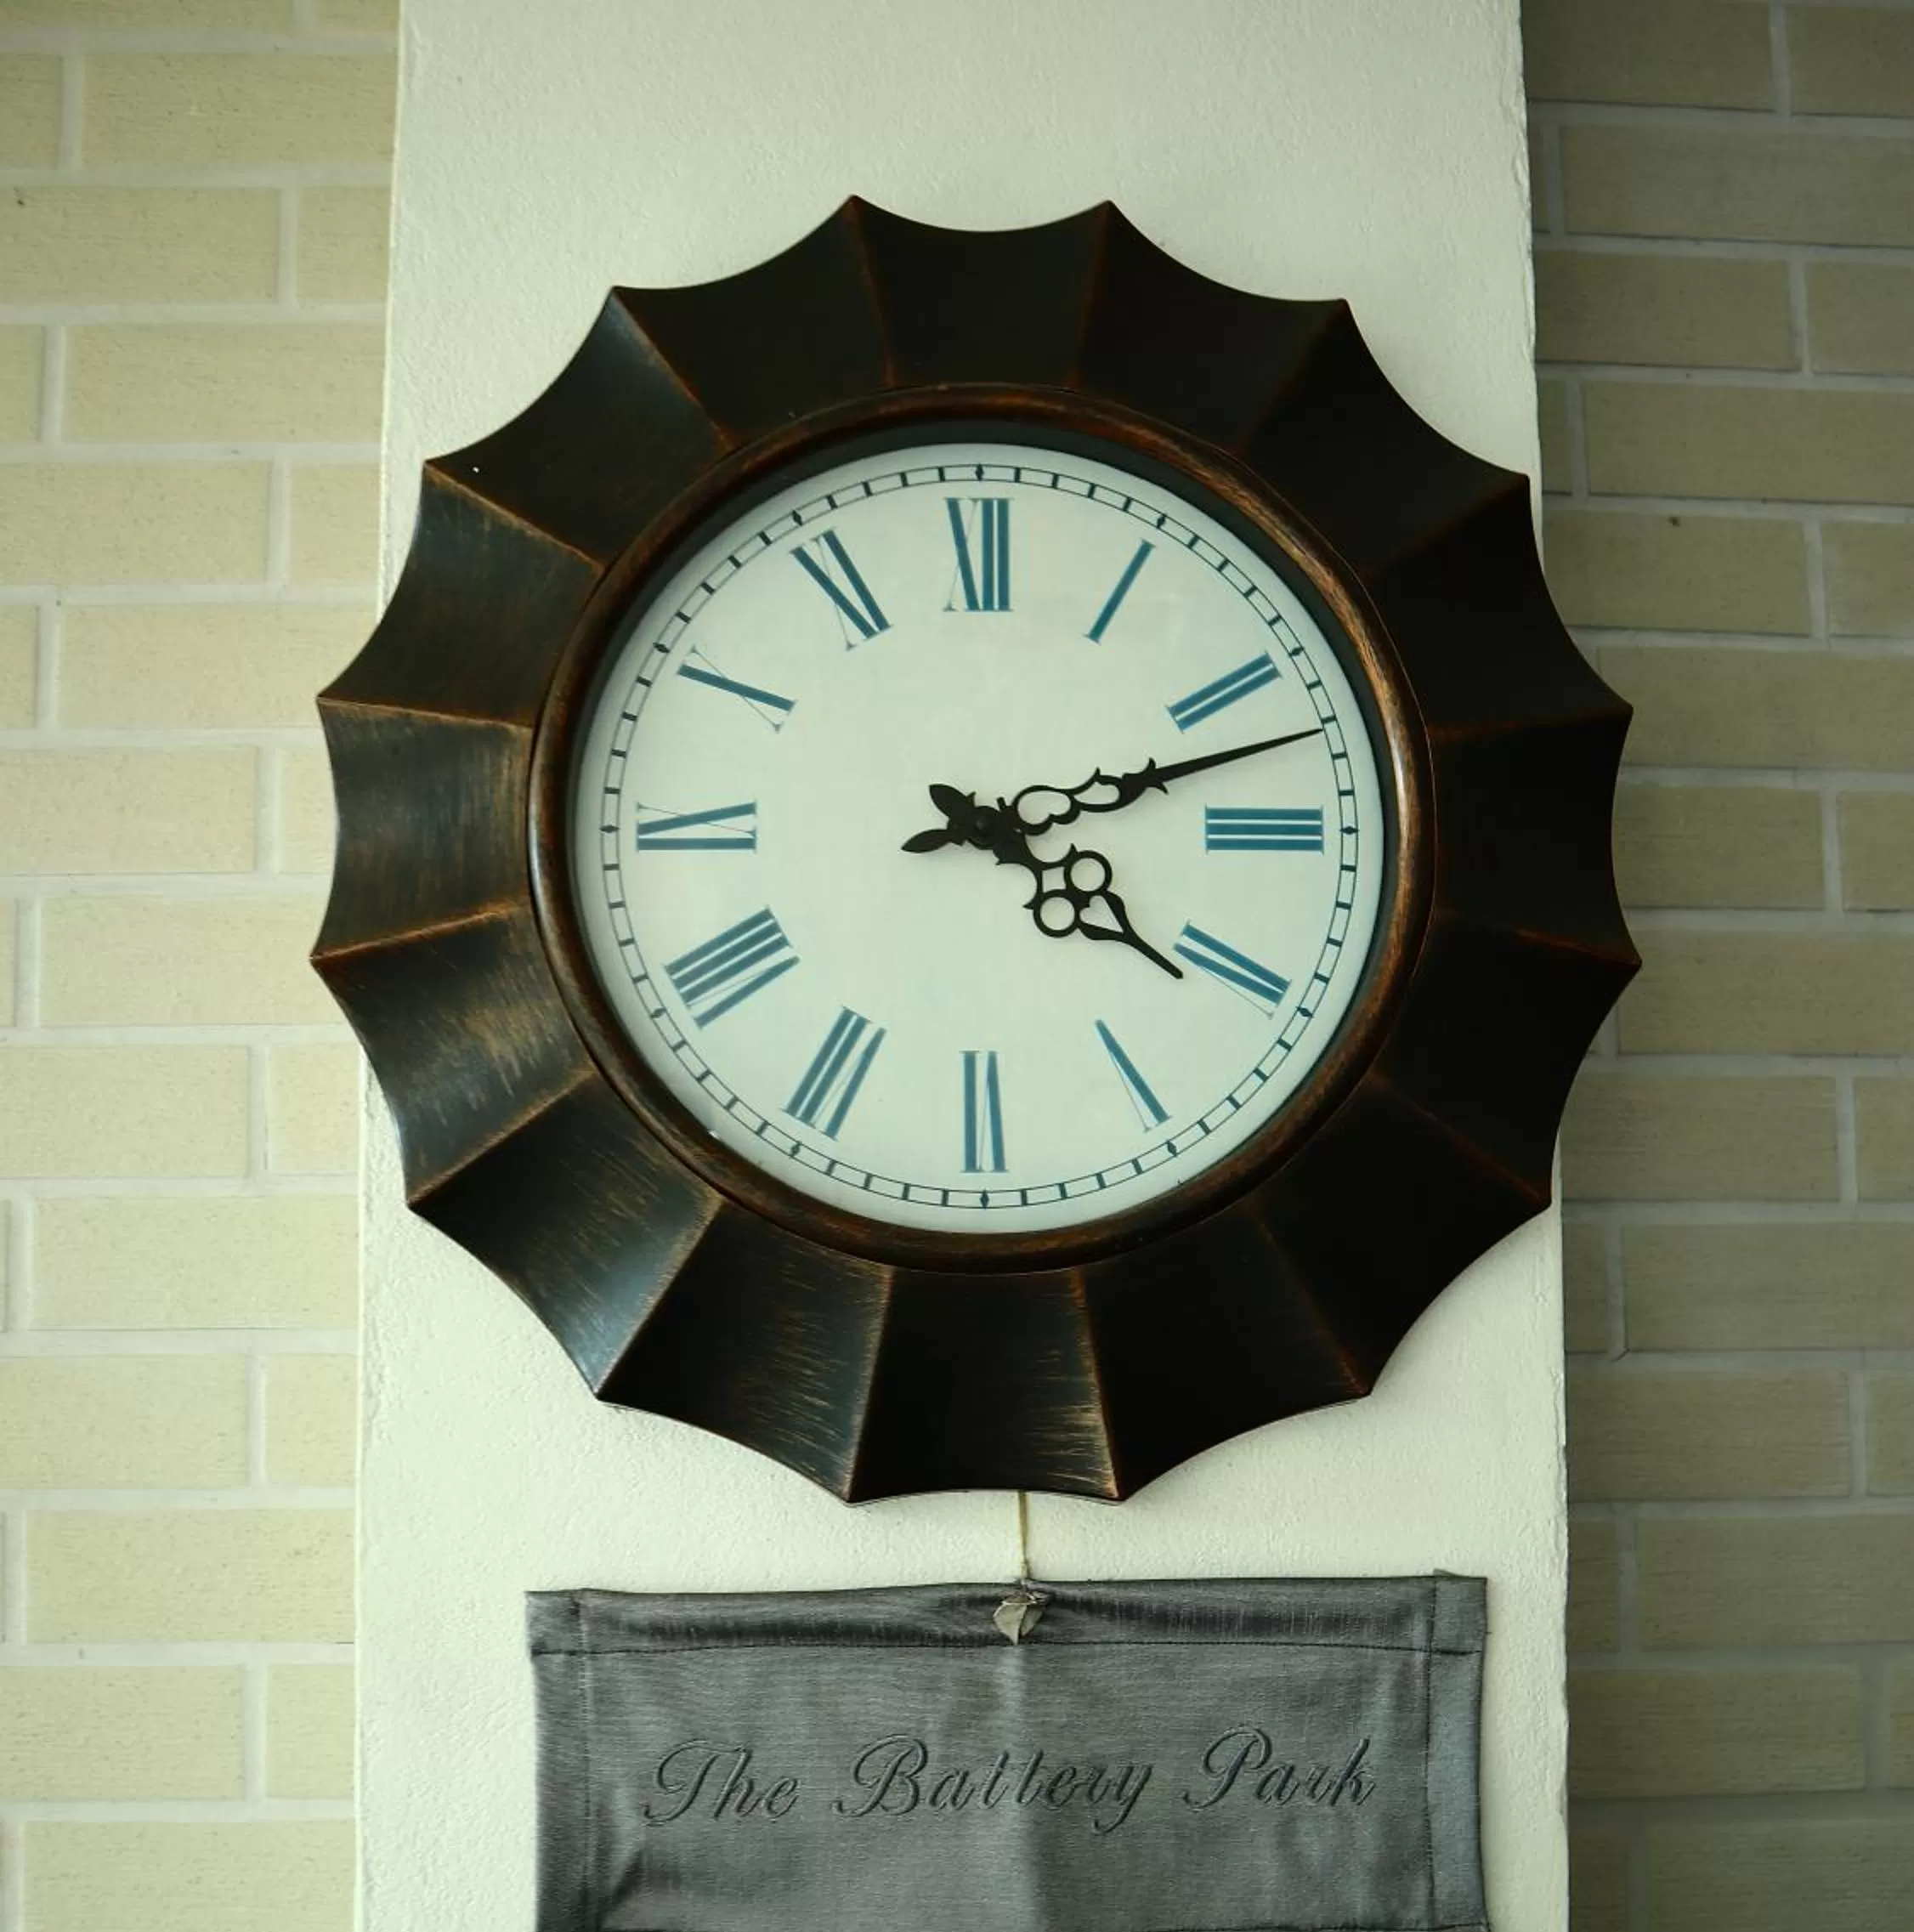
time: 4:11
